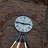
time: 2:46
